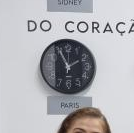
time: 1:55
